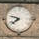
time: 7:47
